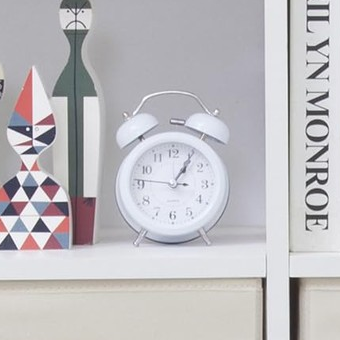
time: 1:05
